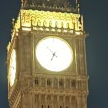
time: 6:53
